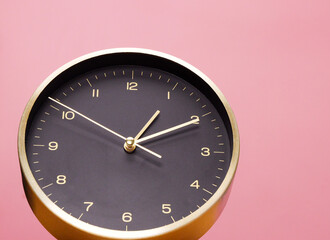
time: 1:10
